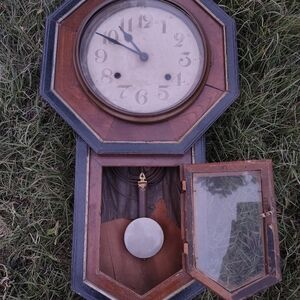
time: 10:50
